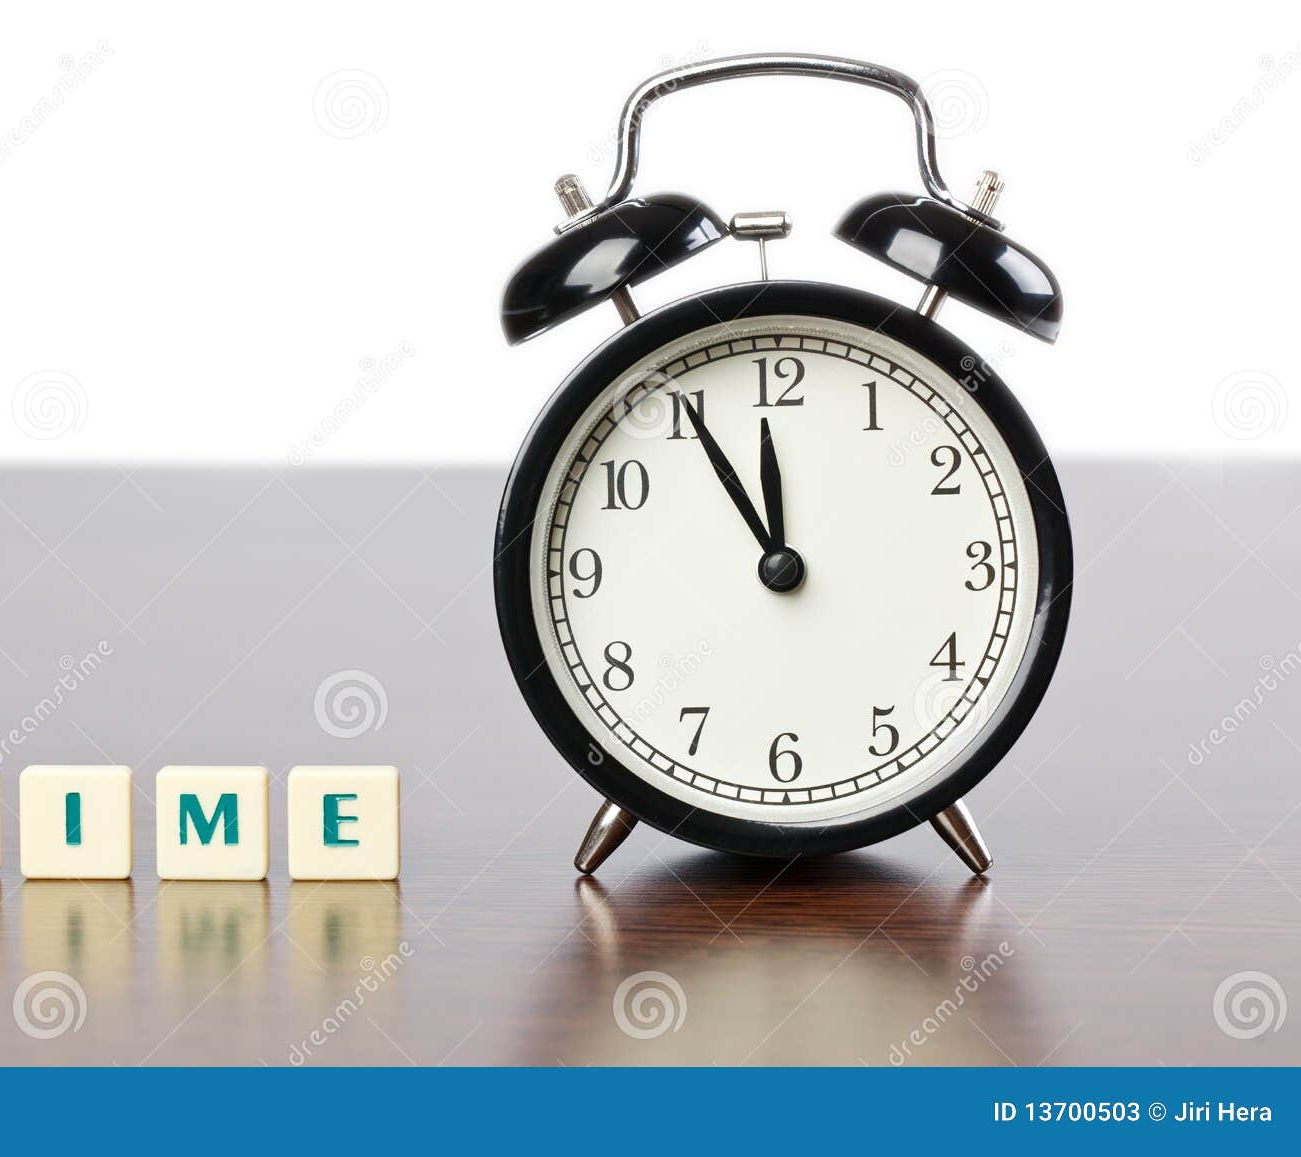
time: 11:55
